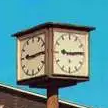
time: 9:14
